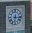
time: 6:15
